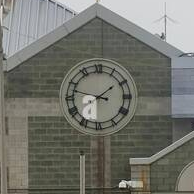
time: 1:47
